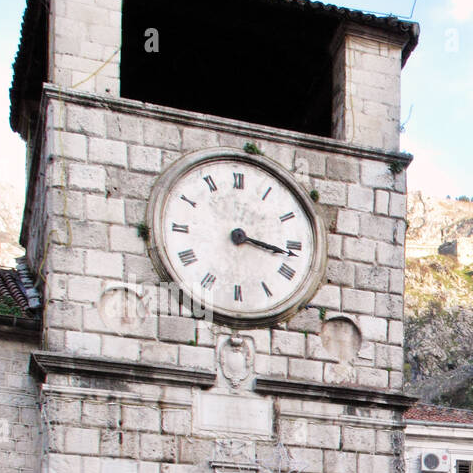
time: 3:16
